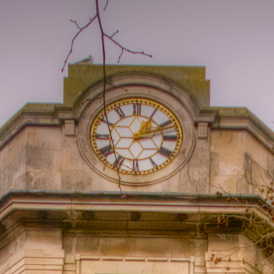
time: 1:11
